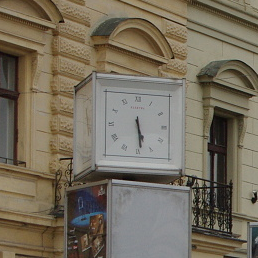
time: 5:29
